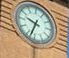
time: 9:33
